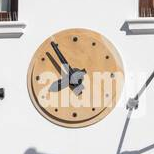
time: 10:54
